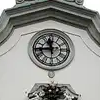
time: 11:44
